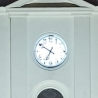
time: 6:50
